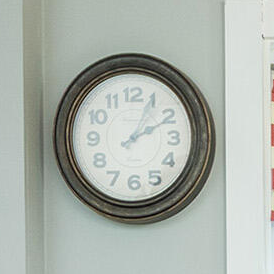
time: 2:04
